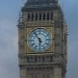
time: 5:54
